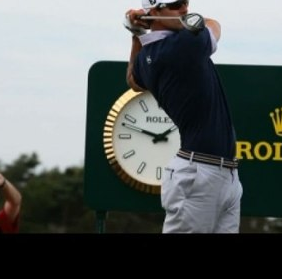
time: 1:47
